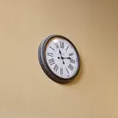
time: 11:12
